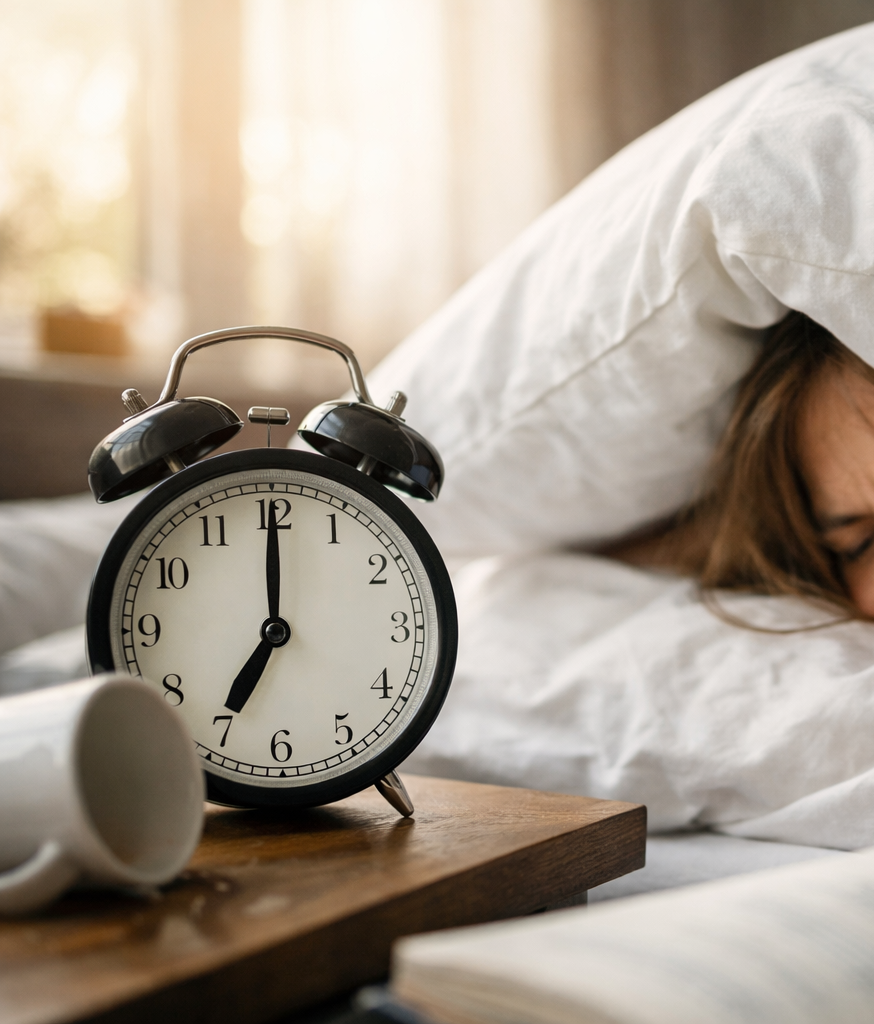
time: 7:00
